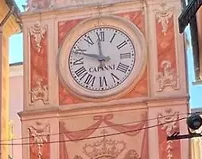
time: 11:48
